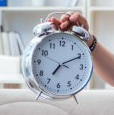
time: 7:10
